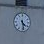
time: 4:28
